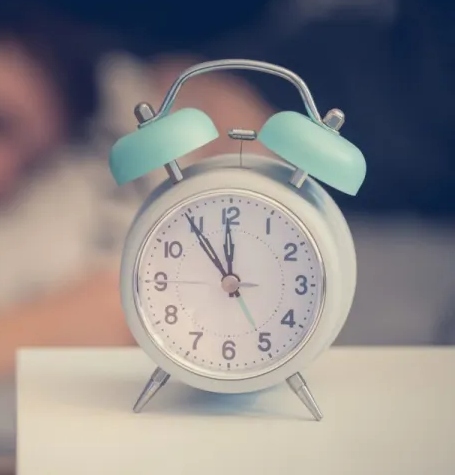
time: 11:54
